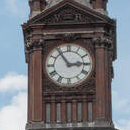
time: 2:54
